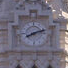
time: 8:11
